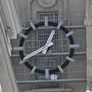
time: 12:40
